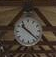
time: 10:22
